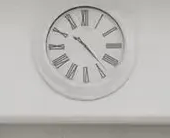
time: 10:22
